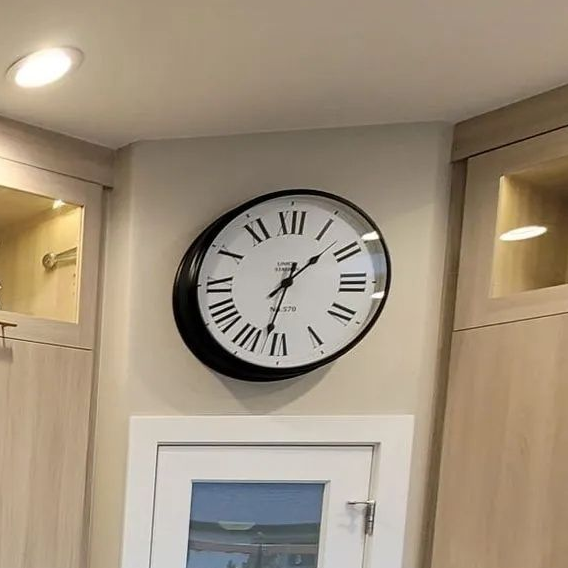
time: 1:32
